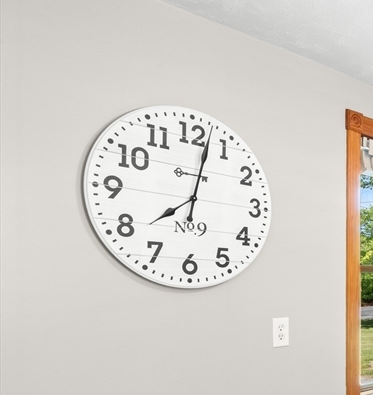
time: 8:02
